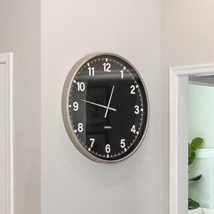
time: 12:47
